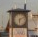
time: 6:10
